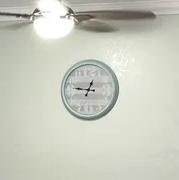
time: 12:46
